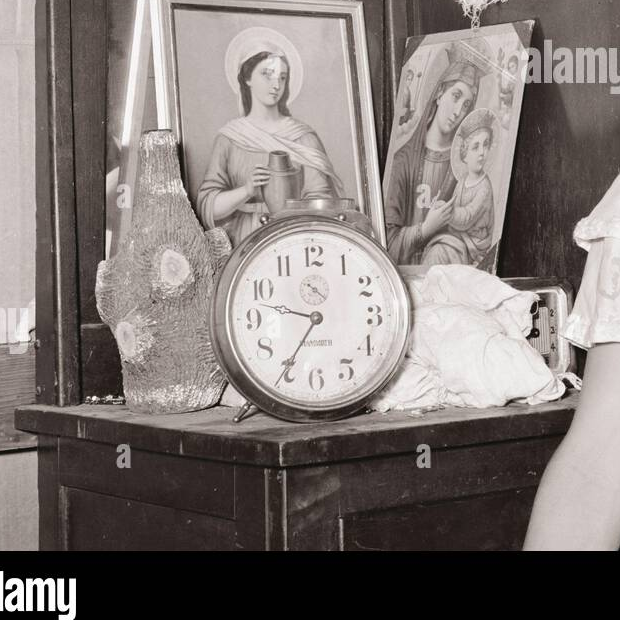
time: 9:35
